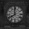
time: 7:59
